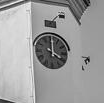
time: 4:00
